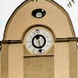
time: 11:28
